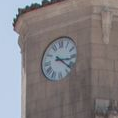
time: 3:21
